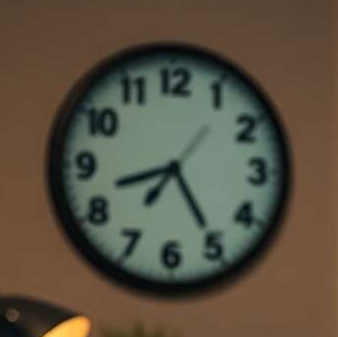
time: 8:24
